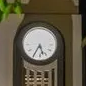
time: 5:35
